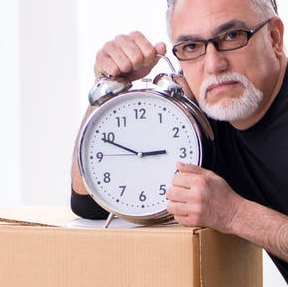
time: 2:49
